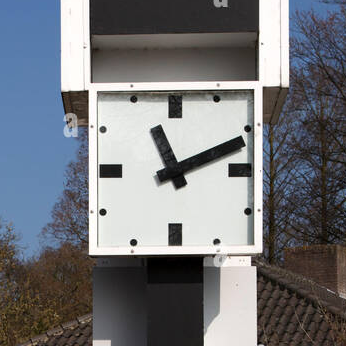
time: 11:11
